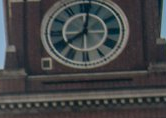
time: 8:01
